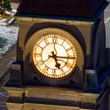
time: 5:15
